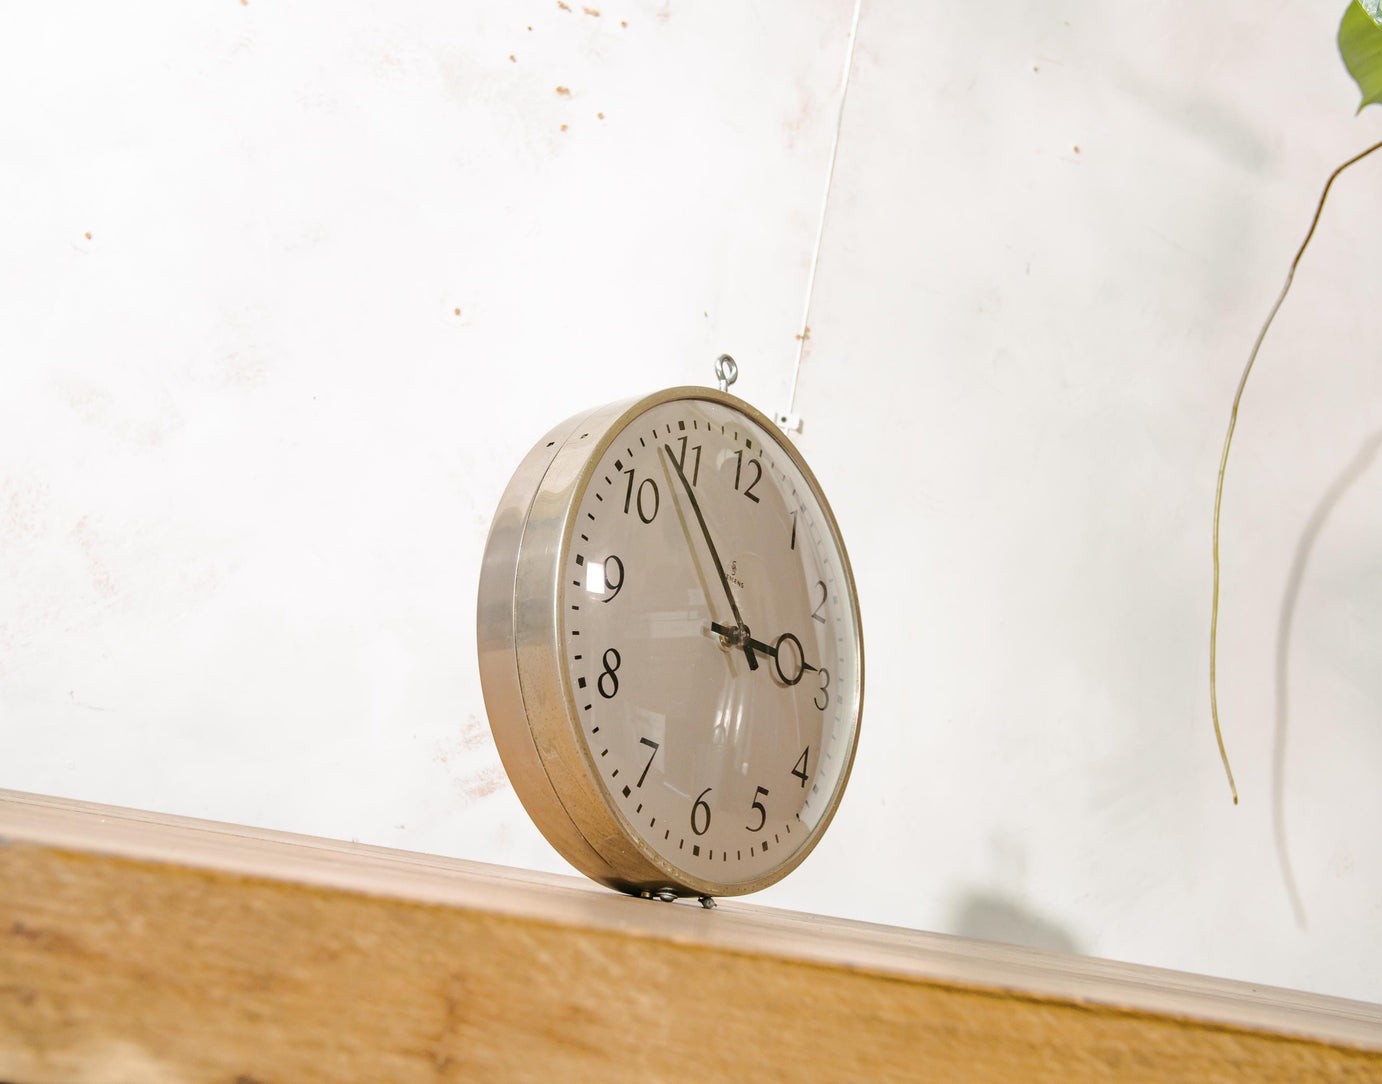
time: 2:53
